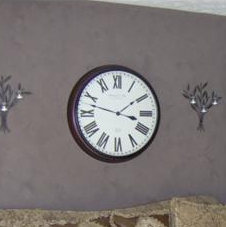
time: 1:47
